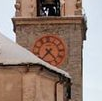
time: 7:23
